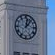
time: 12:06
